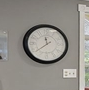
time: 11:38
